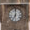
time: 7:00
